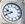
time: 9:41
